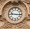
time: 9:15
